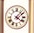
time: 4:07
